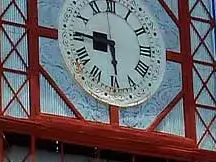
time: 5:45
